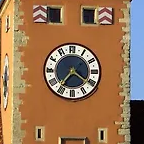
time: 7:20
